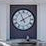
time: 11:09
